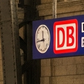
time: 11:44
